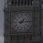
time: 1:13
